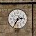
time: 2:35
